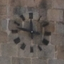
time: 11:47
